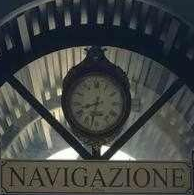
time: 8:32
